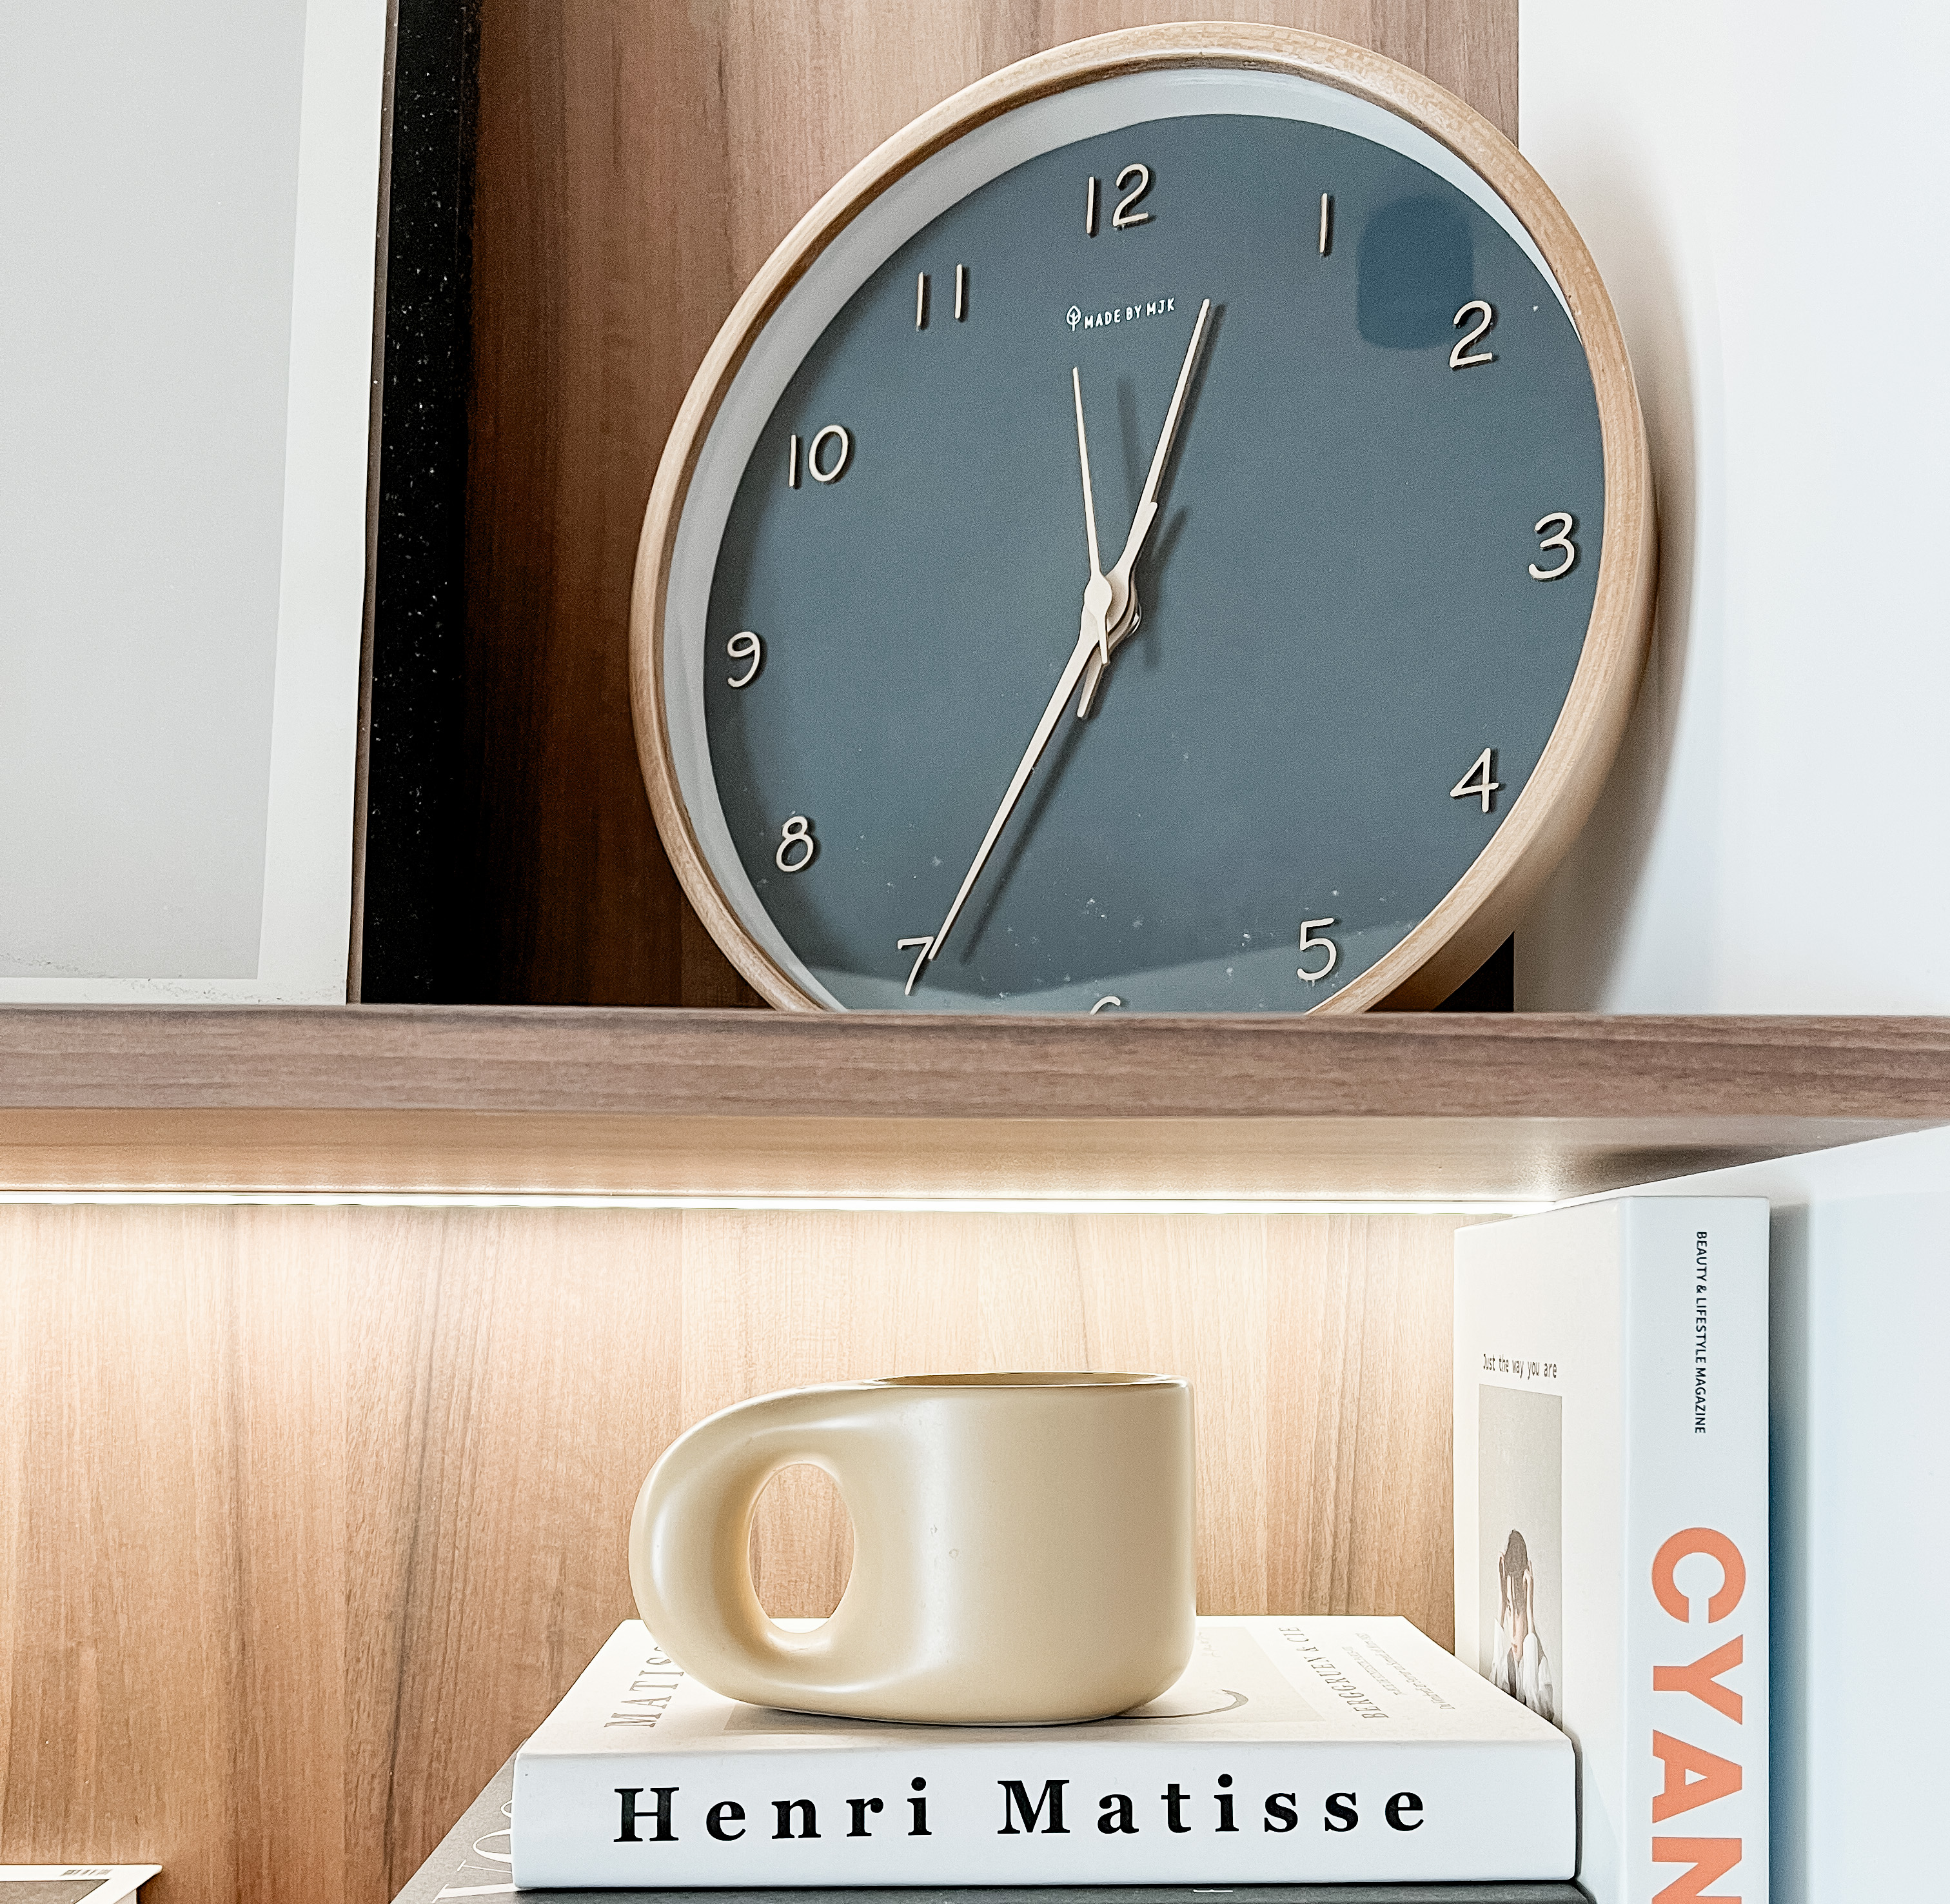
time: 12:34
